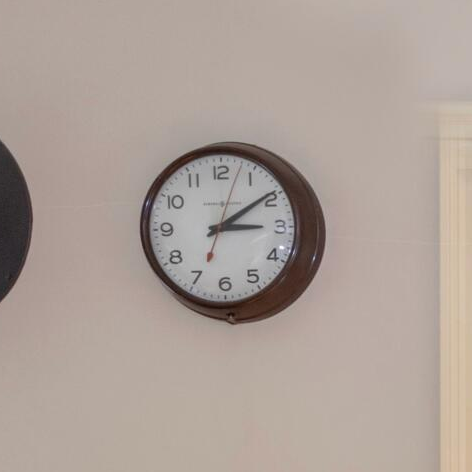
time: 3:09
